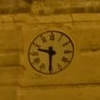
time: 9:30
